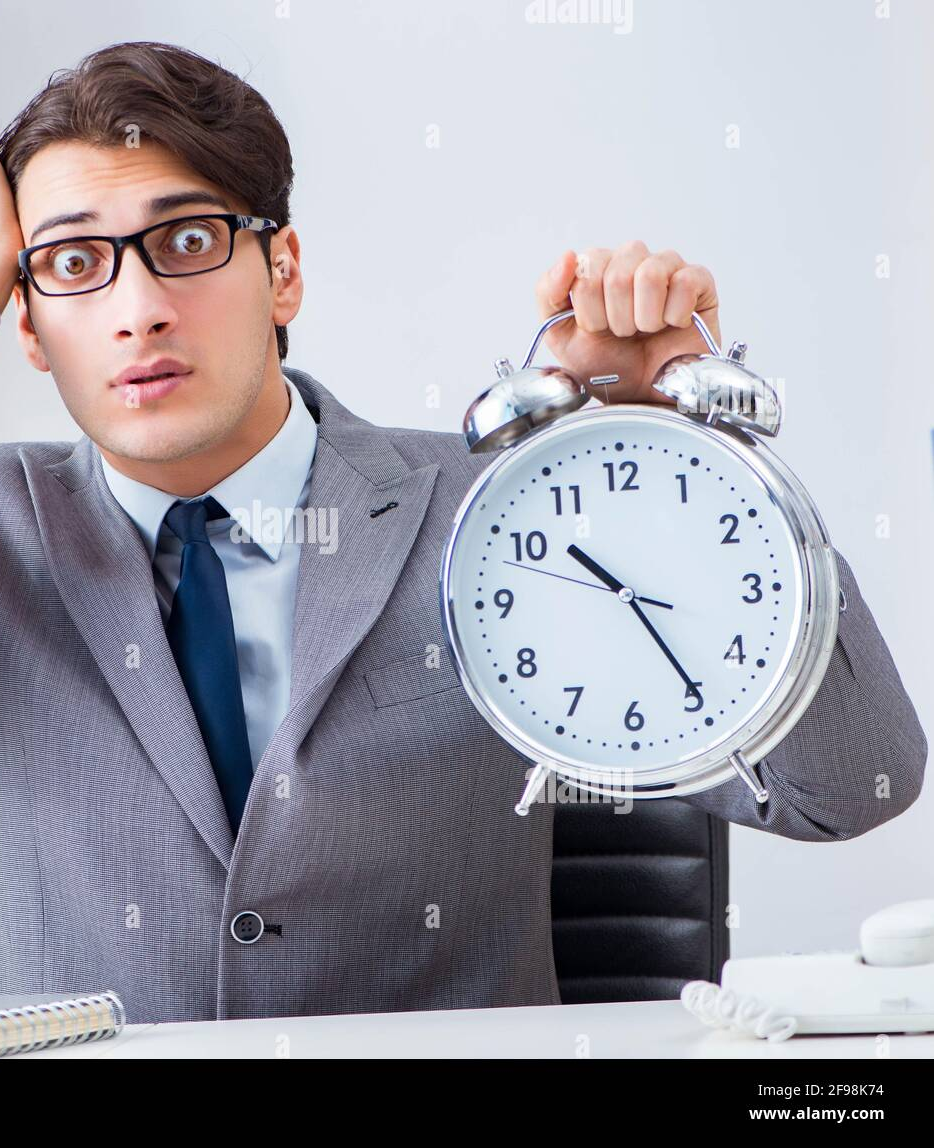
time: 10:24
